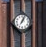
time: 7:04
